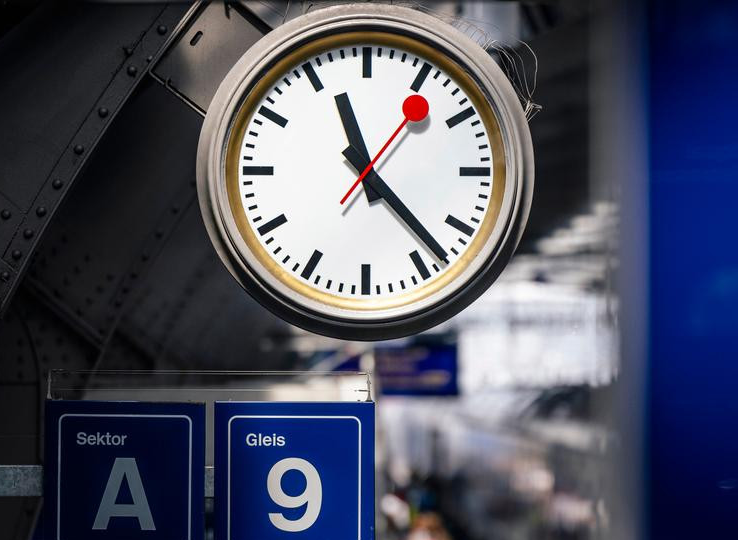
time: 11:22
